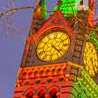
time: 4:22
